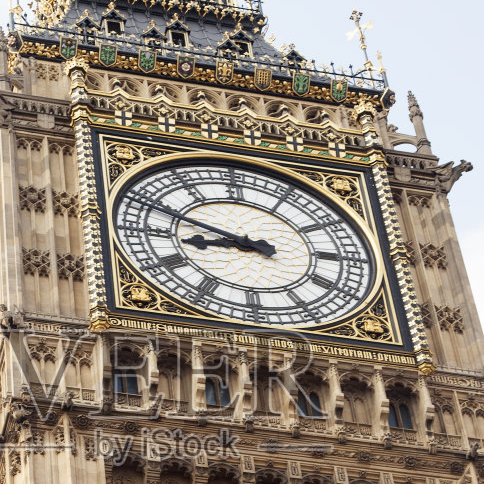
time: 8:48
